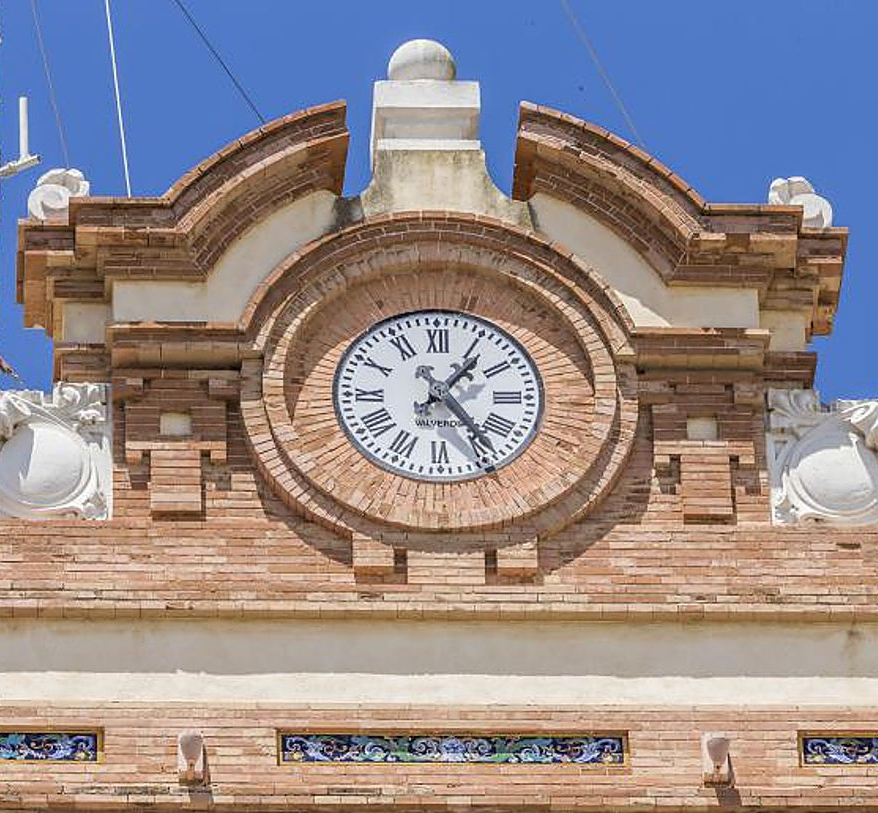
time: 1:23
